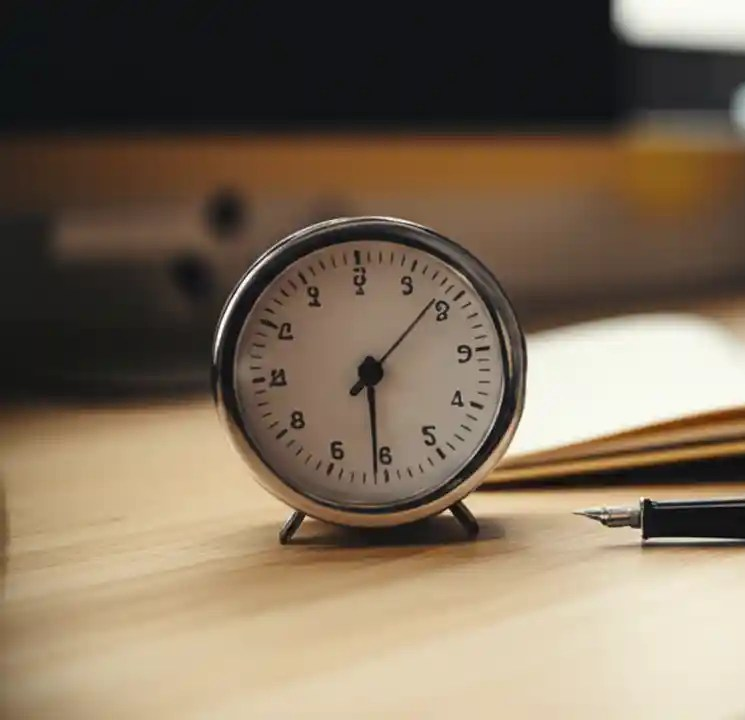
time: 6:08
